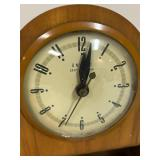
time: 12:01
